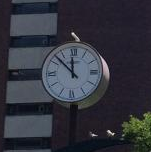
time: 11:52
